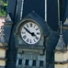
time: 3:50
